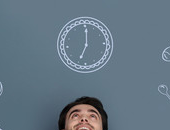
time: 7:00
